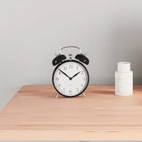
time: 1:51
